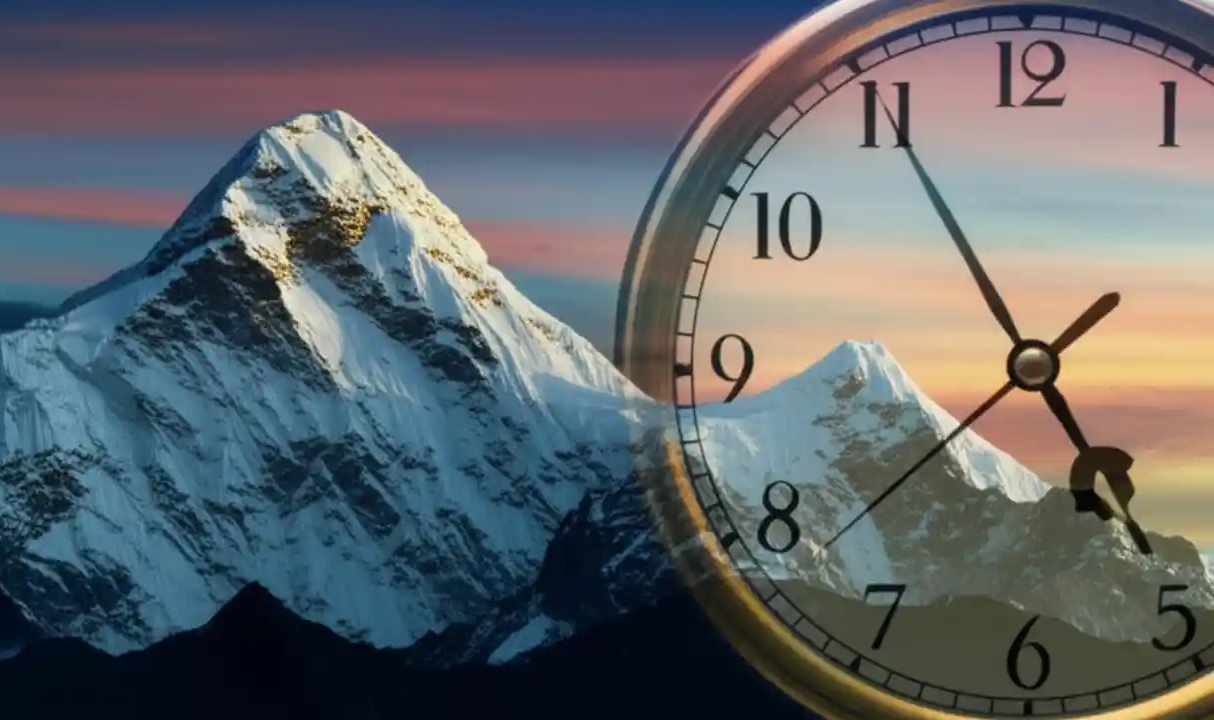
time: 4:55
